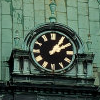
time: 1:09
